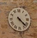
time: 4:22
